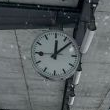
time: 12:07
